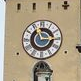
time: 2:56
